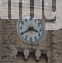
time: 3:40
